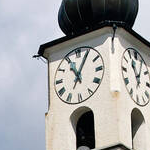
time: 11:04
